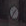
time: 1:36
